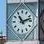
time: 11:12
